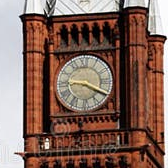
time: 9:20
